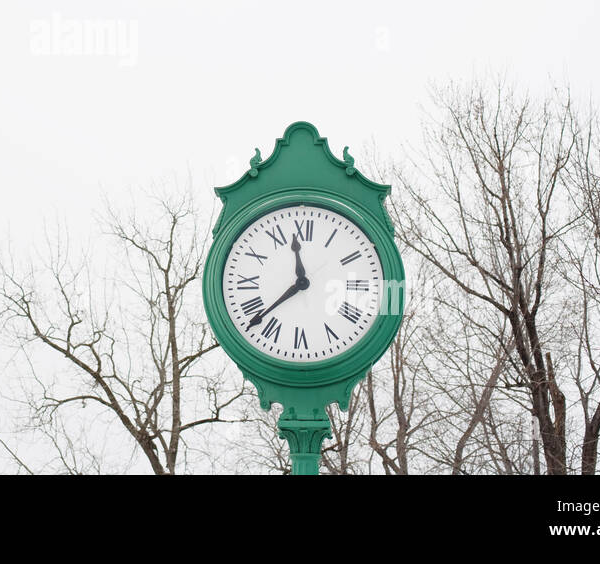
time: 11:38
